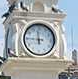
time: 11:45
